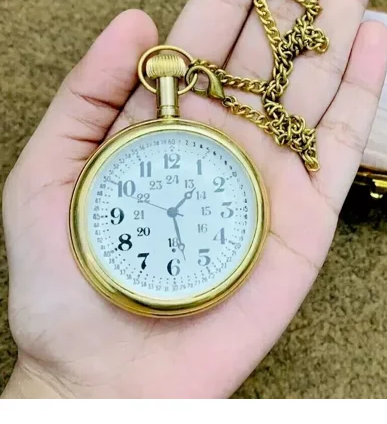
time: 1:28
